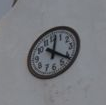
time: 12:21
